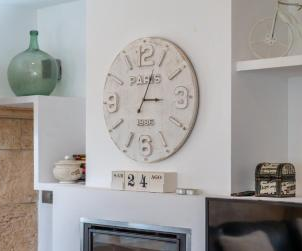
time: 3:04
